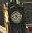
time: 4:42
